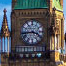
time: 3:43
